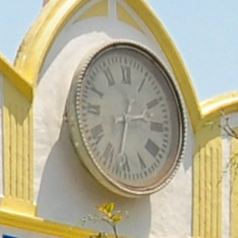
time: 2:32
